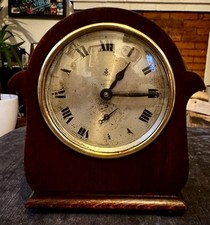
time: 1:15
